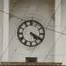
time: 4:20
